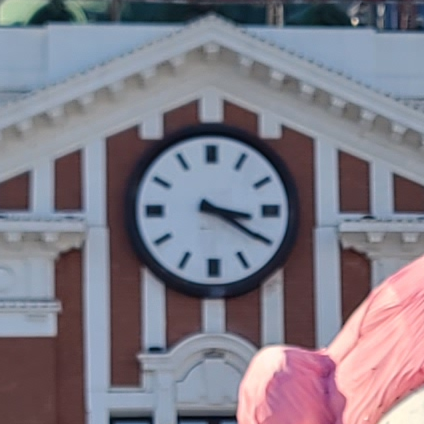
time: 3:20
